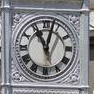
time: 11:02
